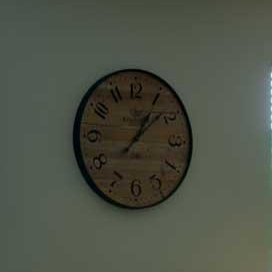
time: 1:08
